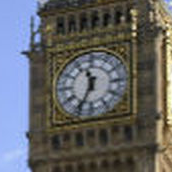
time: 11:34
